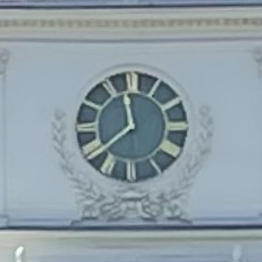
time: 11:37
